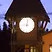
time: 9:01
